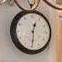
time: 12:30
